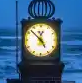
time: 4:52
